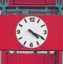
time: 4:19
